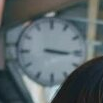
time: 3:15
